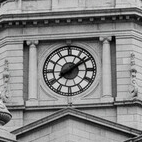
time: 8:09
